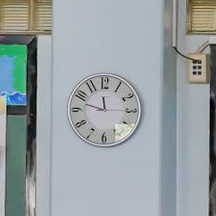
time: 11:48
